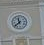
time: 11:38
